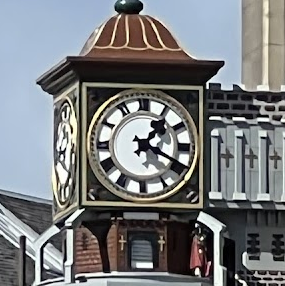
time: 1:19
